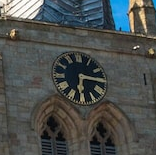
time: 6:15
